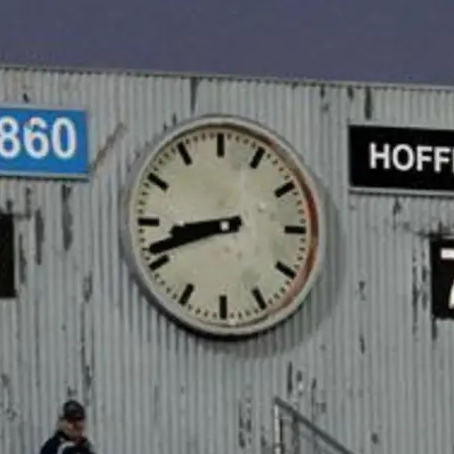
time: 8:41
